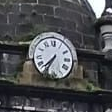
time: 7:35
